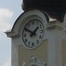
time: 1:50
